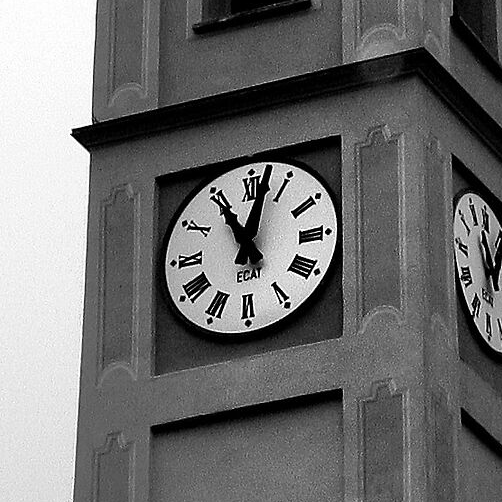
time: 11:02
